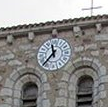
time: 11:36
